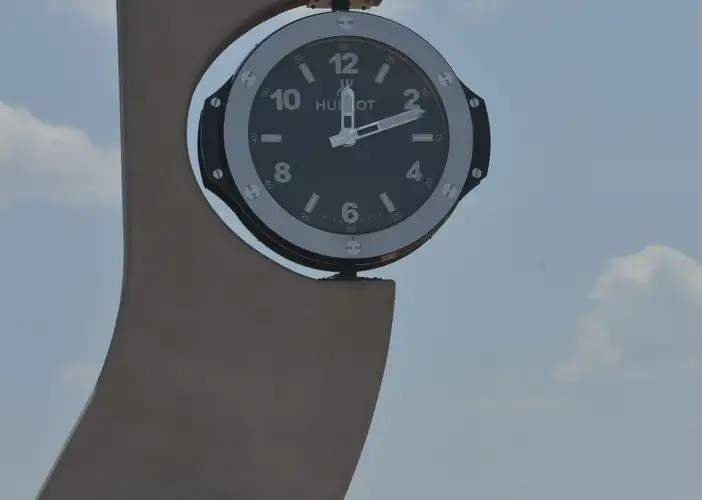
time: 12:11
